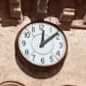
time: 12:08
